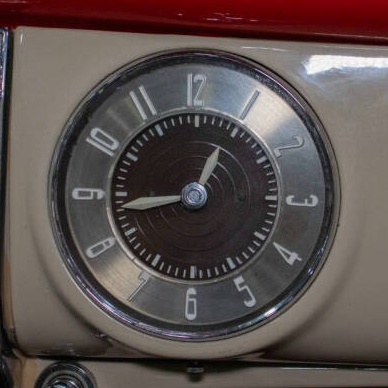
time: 12:43
